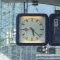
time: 5:22
